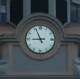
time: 8:56
